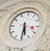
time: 5:30
